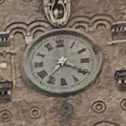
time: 7:20
